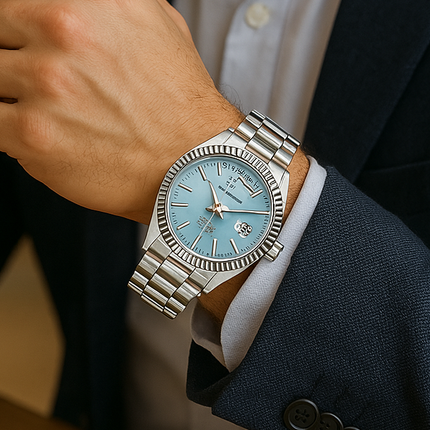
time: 11:14
